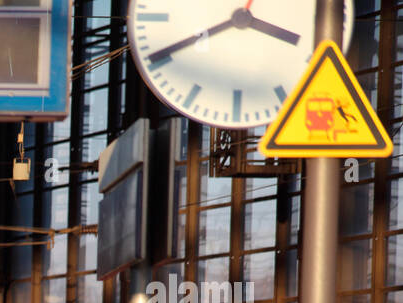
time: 3:40
